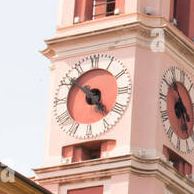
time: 4:51
